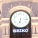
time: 6:15
